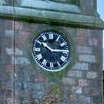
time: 10:14
